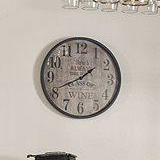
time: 1:41
